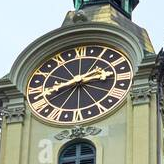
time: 2:40
